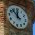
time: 11:52
